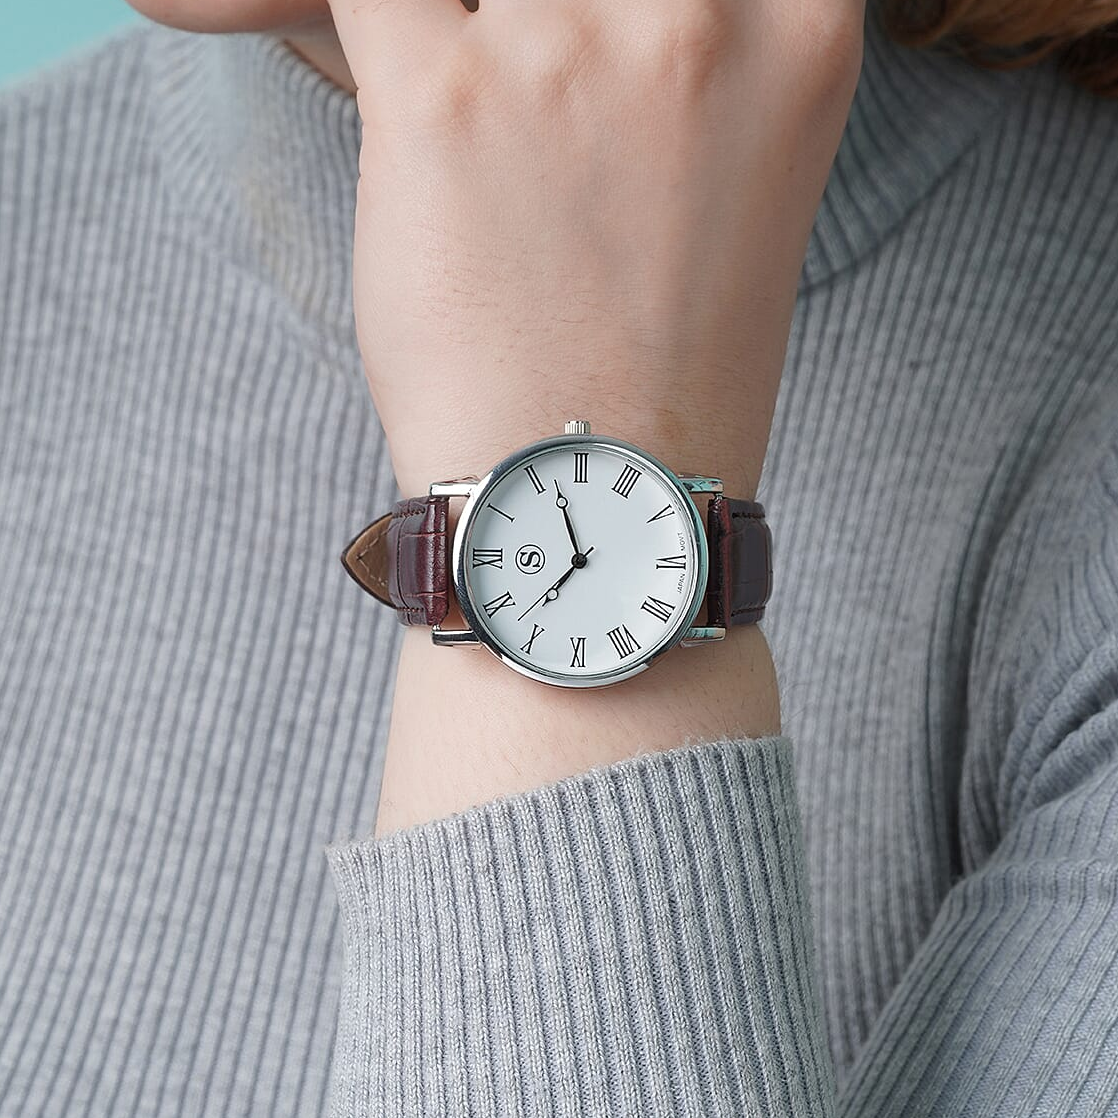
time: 6:56
